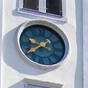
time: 9:38
